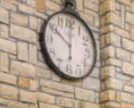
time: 10:00
